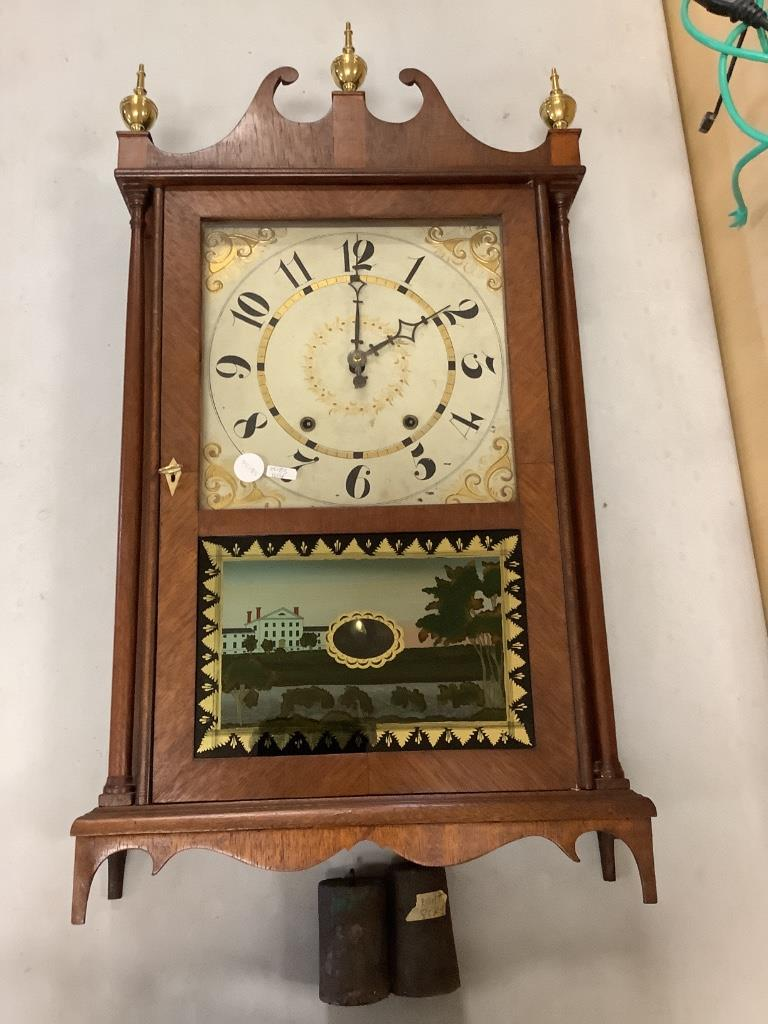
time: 2:00
